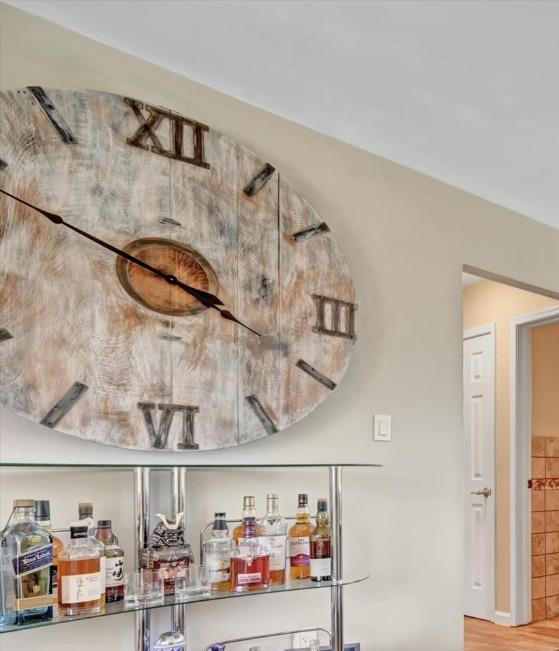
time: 3:48
